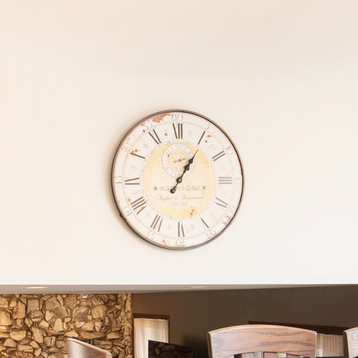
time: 1:05
